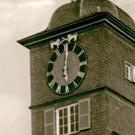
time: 6:00
